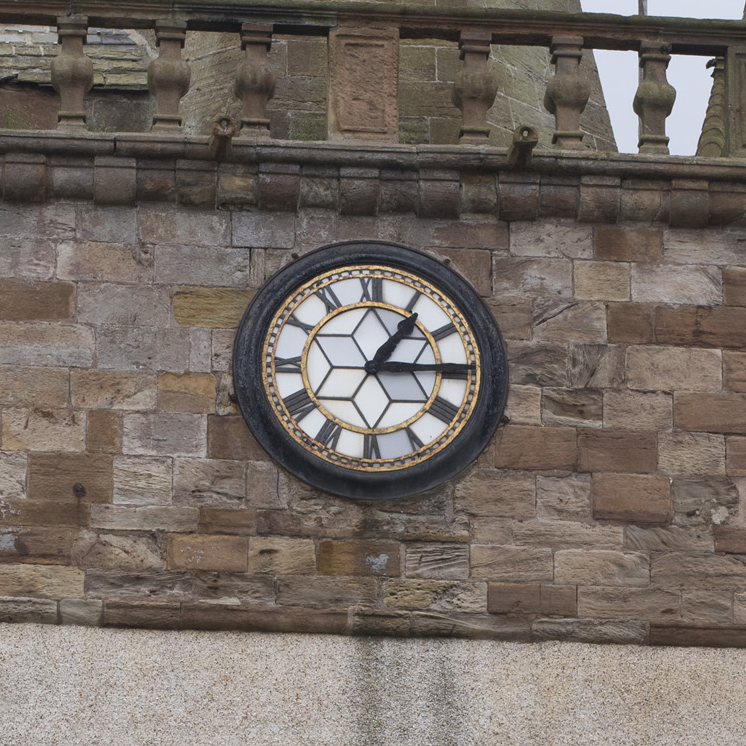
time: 1:14
